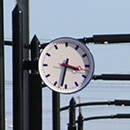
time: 3:32
